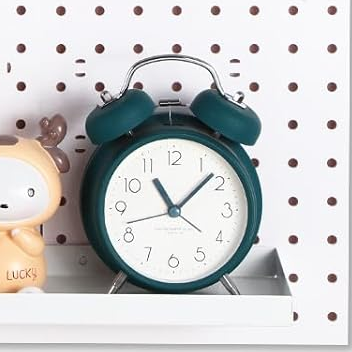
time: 11:07
